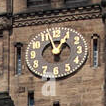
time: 12:57
